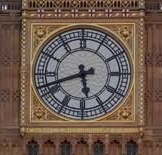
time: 5:41
